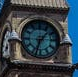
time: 1:33
